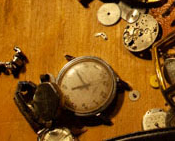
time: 8:54
